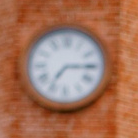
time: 7:14
